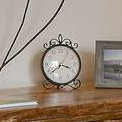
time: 3:38
